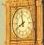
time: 7:58
